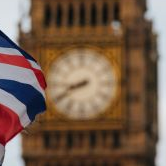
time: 8:40
